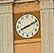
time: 8:11
